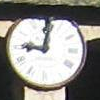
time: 9:01
